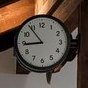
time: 8:53
